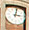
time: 3:02
